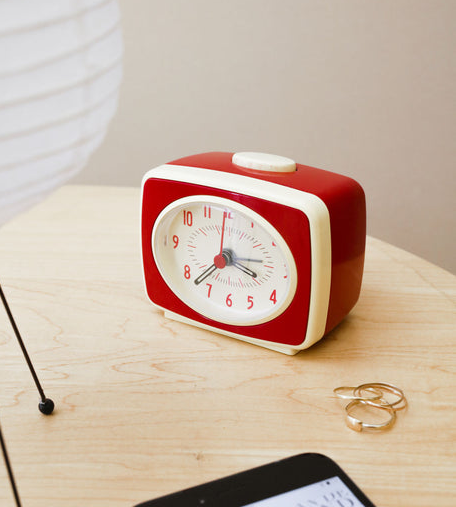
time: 3:37
